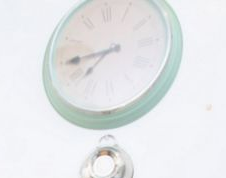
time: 7:44
